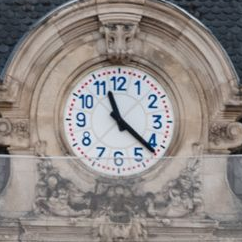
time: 11:21
